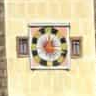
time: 12:16
